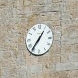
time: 1:36
